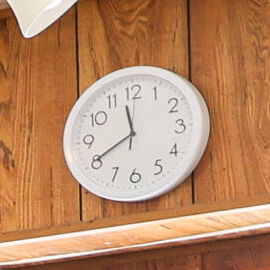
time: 11:40
